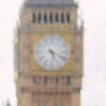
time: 5:18
